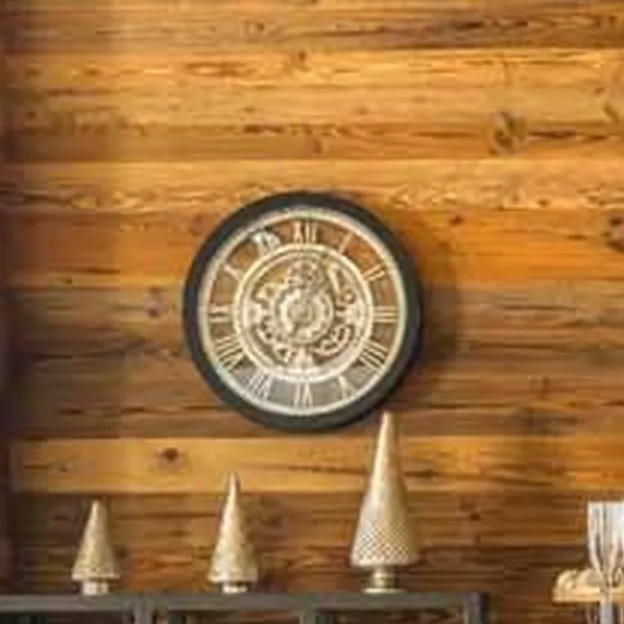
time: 7:01
